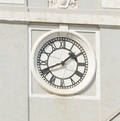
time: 1:41
